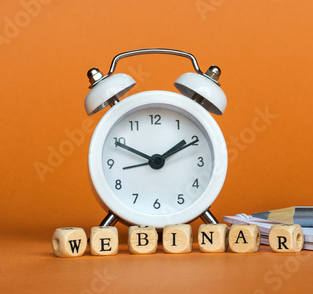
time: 1:50
